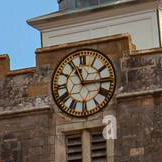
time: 11:14
